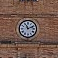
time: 11:11
